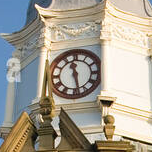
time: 11:28
